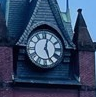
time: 12:26
